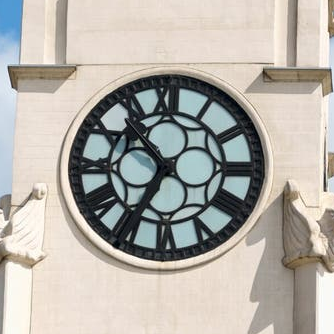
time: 10:35
